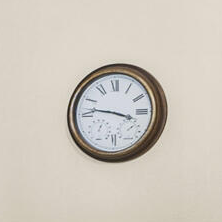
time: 3:46
